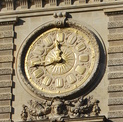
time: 11:43
